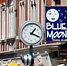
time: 1:18
